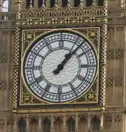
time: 1:07
